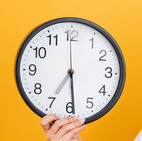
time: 6:59
